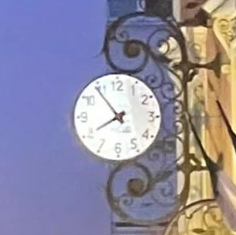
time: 7:54
